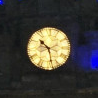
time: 10:28
